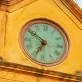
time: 6:50
